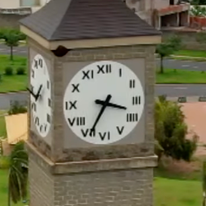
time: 3:34
